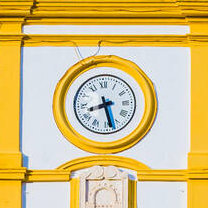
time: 8:27
